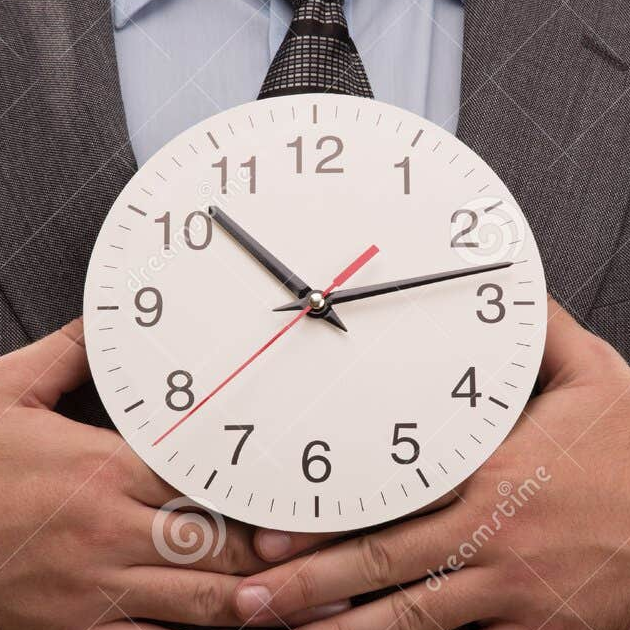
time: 10:12
